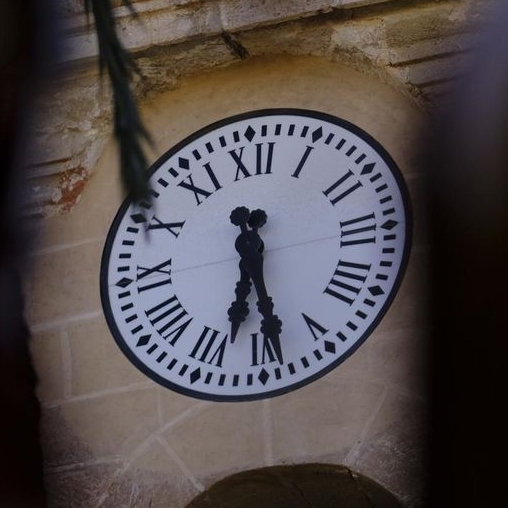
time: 6:28
